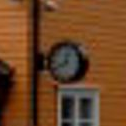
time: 12:40
